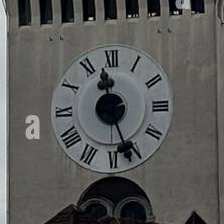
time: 11:26
